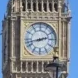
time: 2:42
